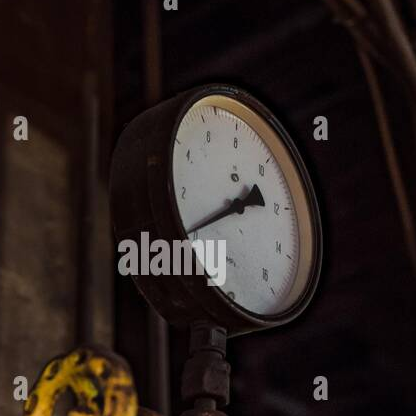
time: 2:40
